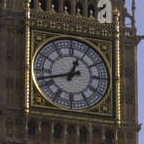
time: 12:42
